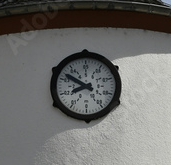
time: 8:51
